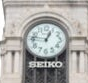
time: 12:46
